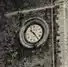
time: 10:23
